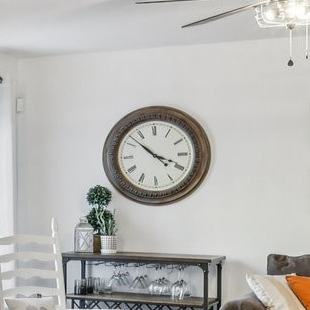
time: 3:52
